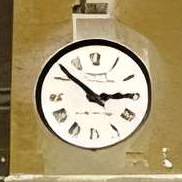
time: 2:51
